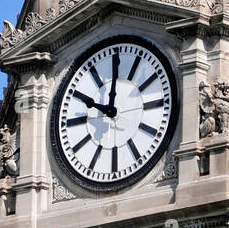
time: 10:00
